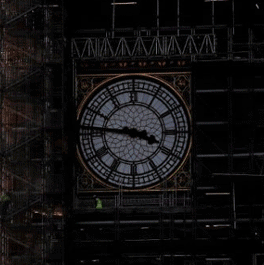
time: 3:45
